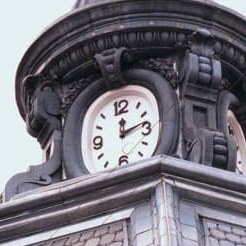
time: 12:12
